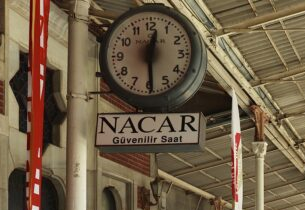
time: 12:29
